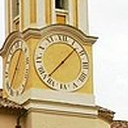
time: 1:37
